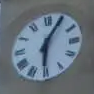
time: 6:05
